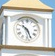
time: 10:26
